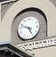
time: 4:48
